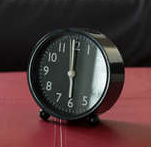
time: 6:00
